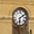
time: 6:10
